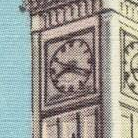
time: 8:18
